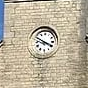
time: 3:49
